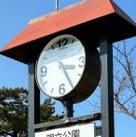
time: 3:24
